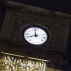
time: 7:58
